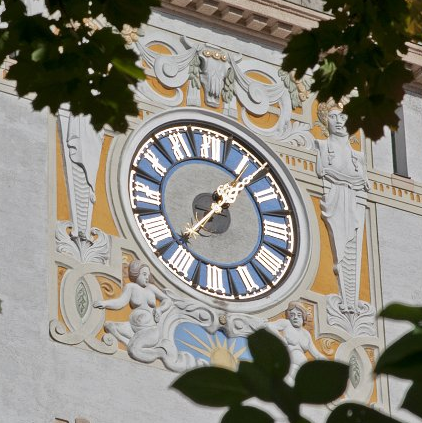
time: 1:38
